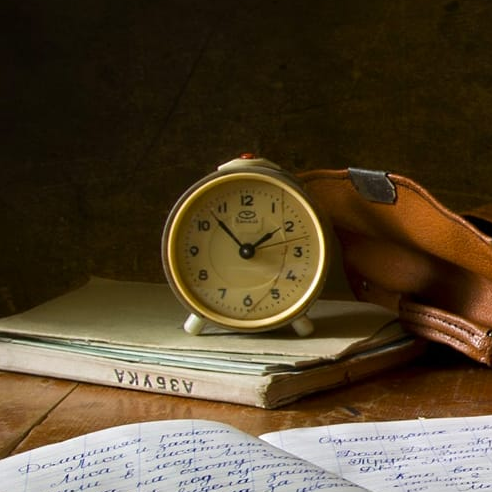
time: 1:52
